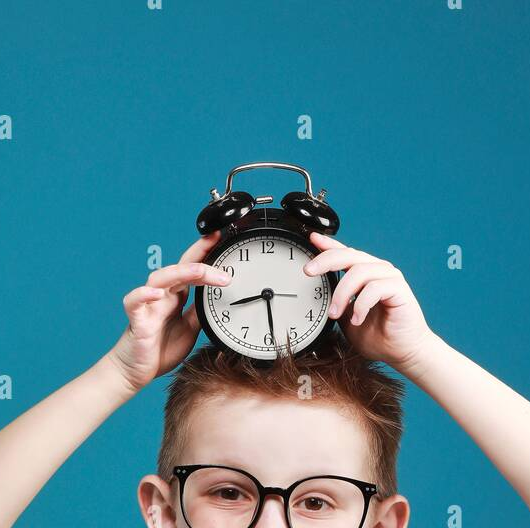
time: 8:28
